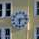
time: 6:13
